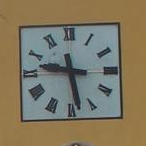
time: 9:28
